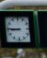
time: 8:45
